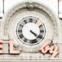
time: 4:20
